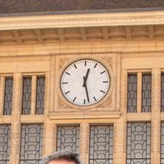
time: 12:28
